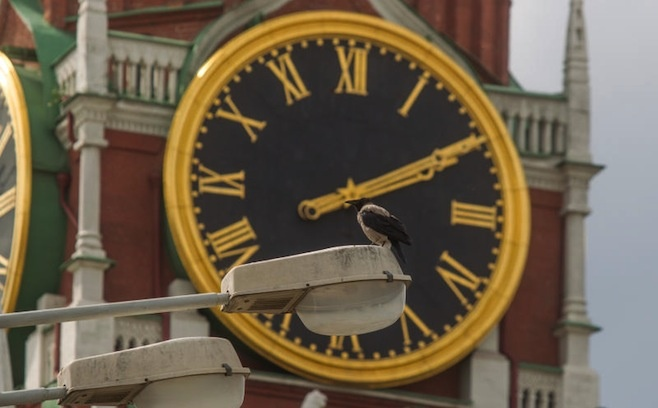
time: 4:10
